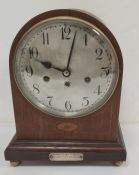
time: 10:02
